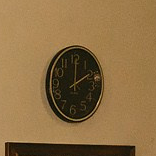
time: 2:00
